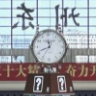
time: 11:41
